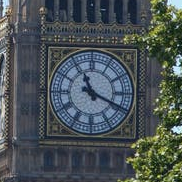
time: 11:19
